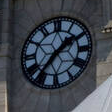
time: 1:36
